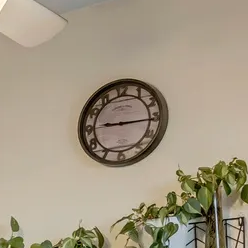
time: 9:15
